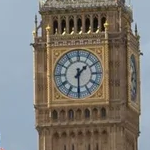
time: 1:30
